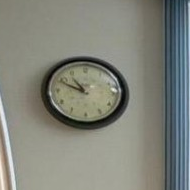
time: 10:49
